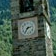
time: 2:35
